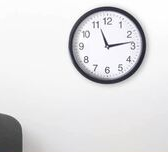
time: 11:13
